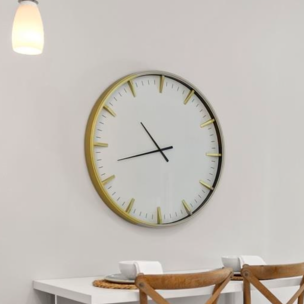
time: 10:42
